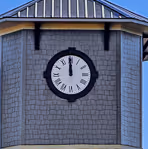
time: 11:59
